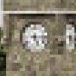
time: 5:15
